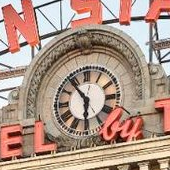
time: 5:54
